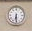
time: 6:29
